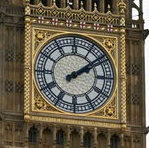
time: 2:08
